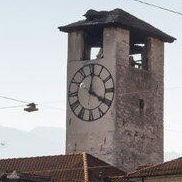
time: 4:01
